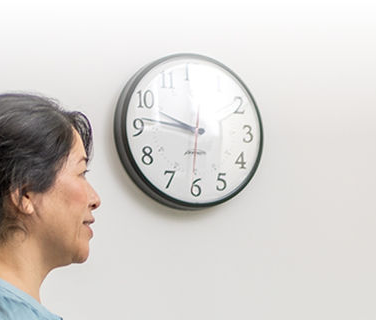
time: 9:46
